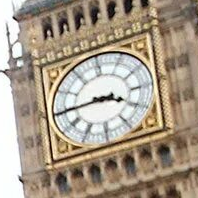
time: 3:44
